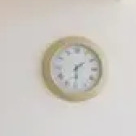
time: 1:29
